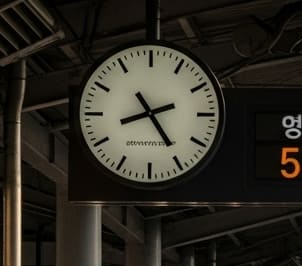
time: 8:24
